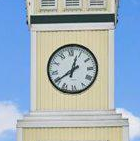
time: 12:40
